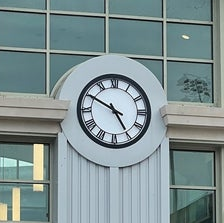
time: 4:49
